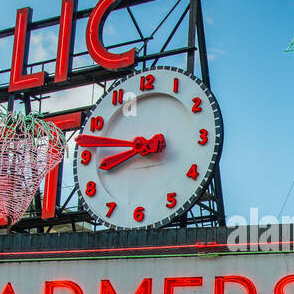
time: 8:47
